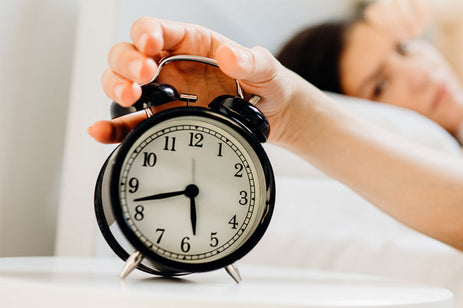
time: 5:42
